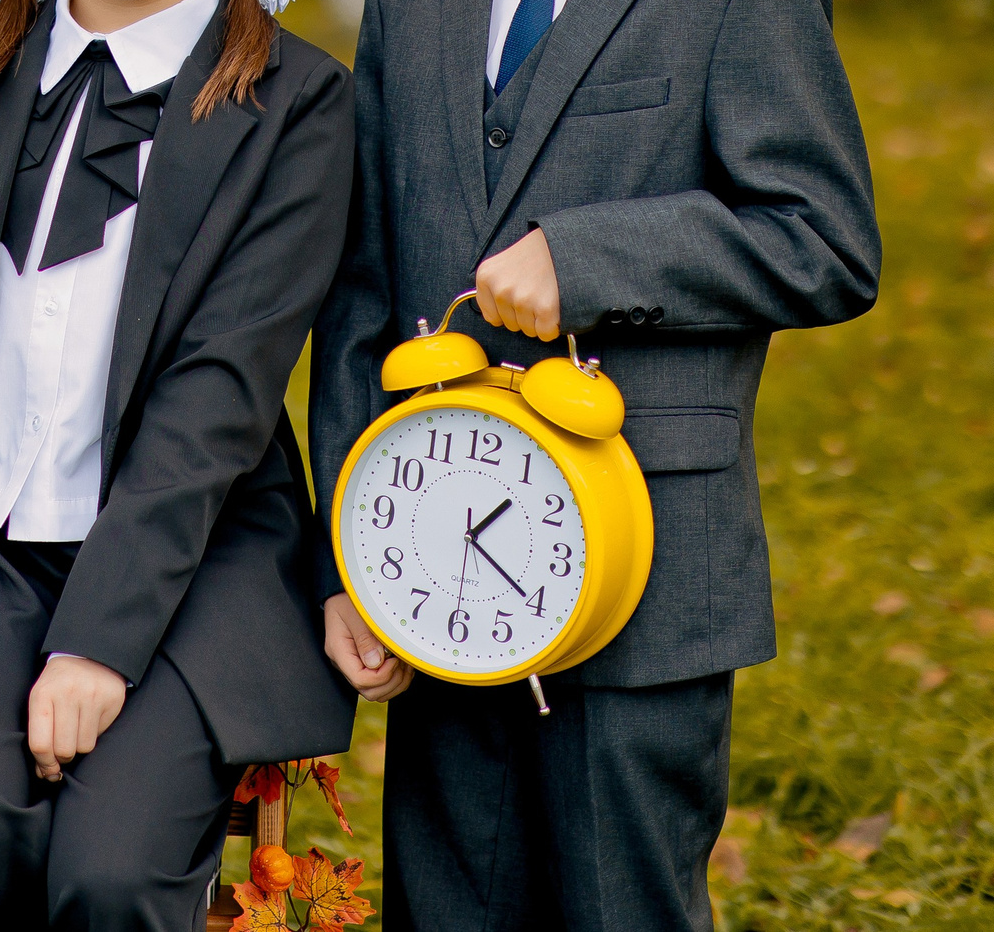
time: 1:20
